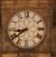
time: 8:39
